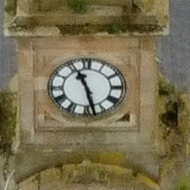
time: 11:28
